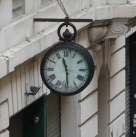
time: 11:29
